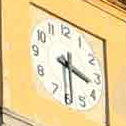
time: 3:29
